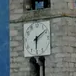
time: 6:10
